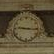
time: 9:16
